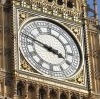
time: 3:47
